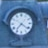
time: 7:21
